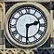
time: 2:30
